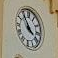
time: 3:54
